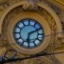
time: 6:10
